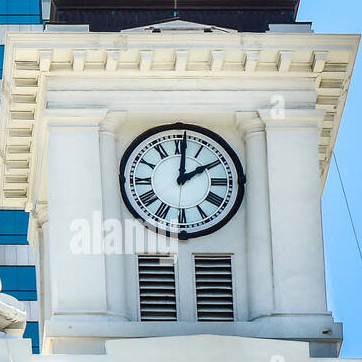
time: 2:00
